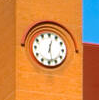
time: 12:27
